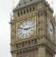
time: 2:48
